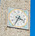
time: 3:34
